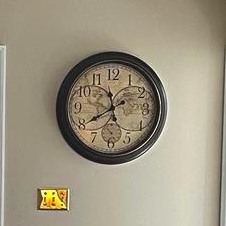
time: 11:39
